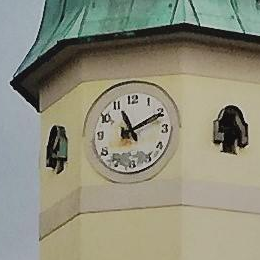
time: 11:10
